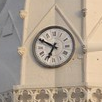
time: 6:49
